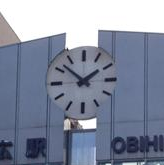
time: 1:51
